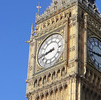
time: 8:43
